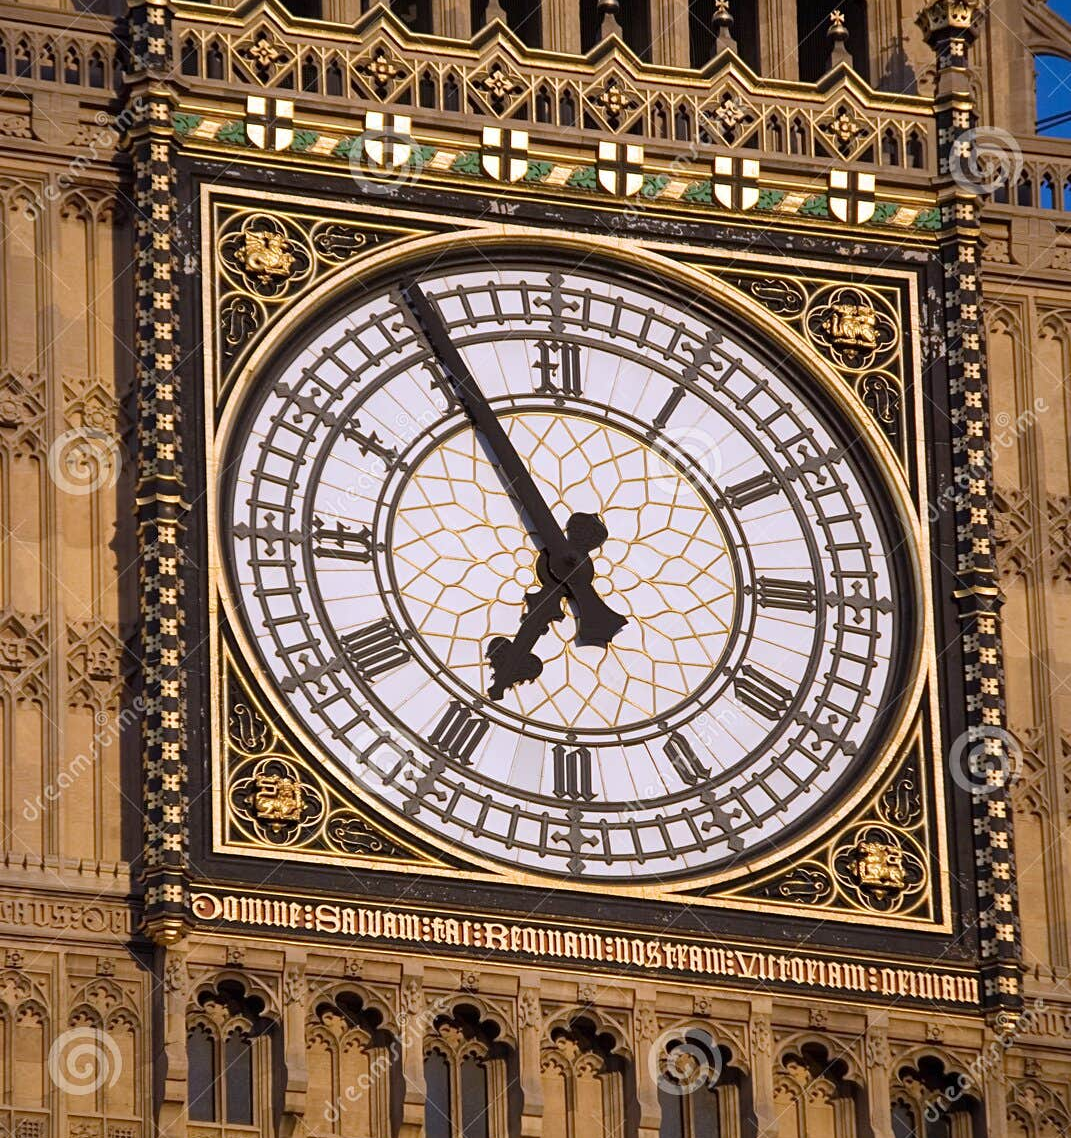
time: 6:54
